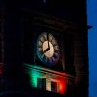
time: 7:59
